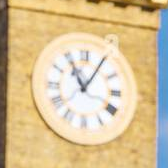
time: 11:05
